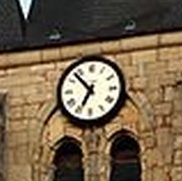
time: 6:52
